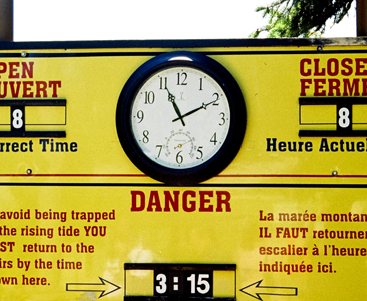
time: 11:10
